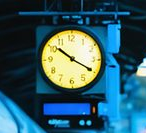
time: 10:19
